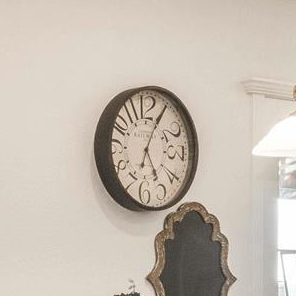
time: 5:04
